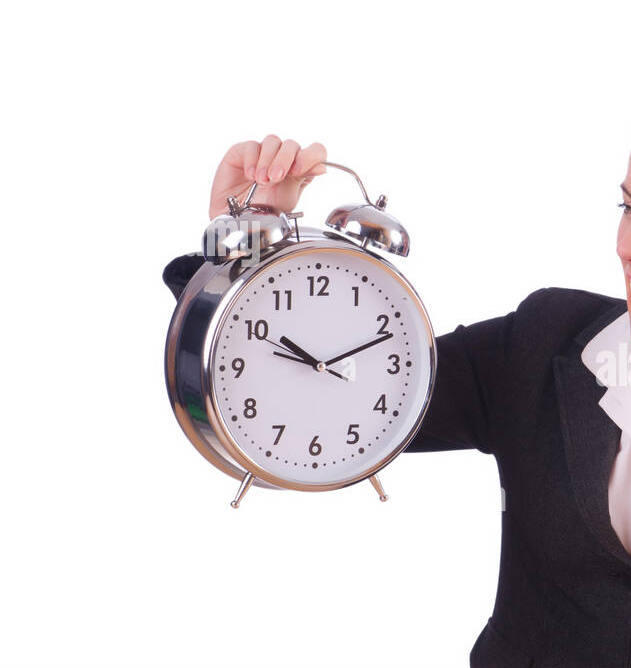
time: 10:11
